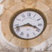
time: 3:42
